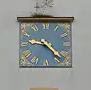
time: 9:22
